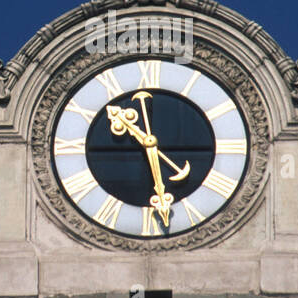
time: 10:28
